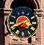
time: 3:40
